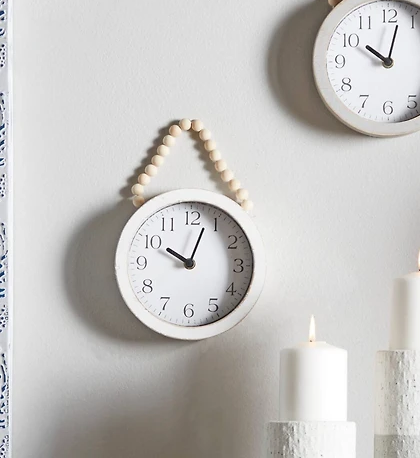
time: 10:03
